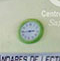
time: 2:43
